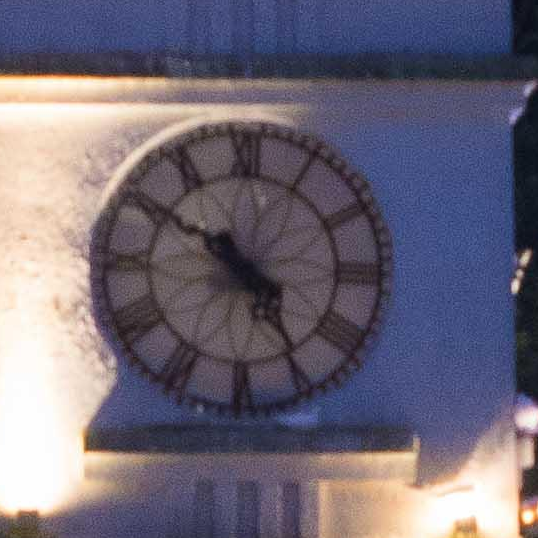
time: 4:50
